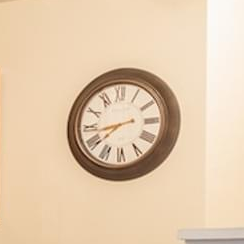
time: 8:38
